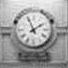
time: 1:56
